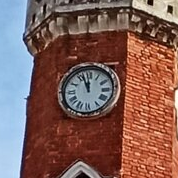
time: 11:56
